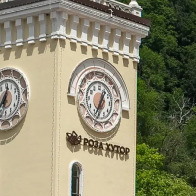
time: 6:34
